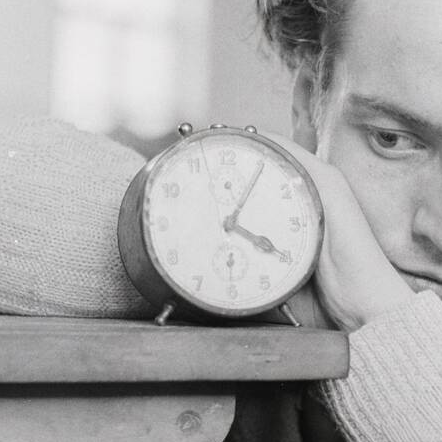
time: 4:05
